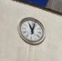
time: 11:02
